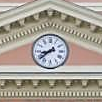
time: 8:38
